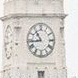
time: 10:43
